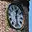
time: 12:28
